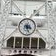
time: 3:27
